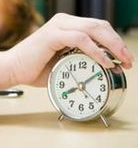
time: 8:08
